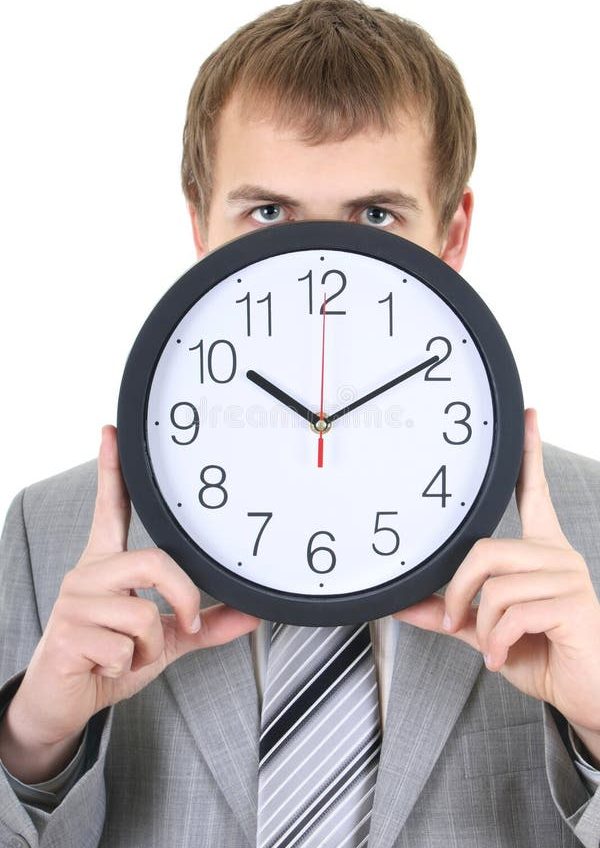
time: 10:10
